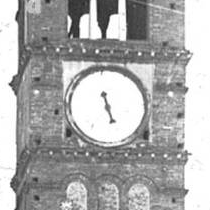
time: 5:26
